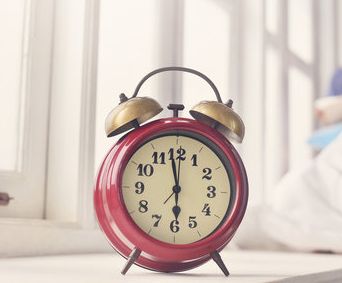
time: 5:58
